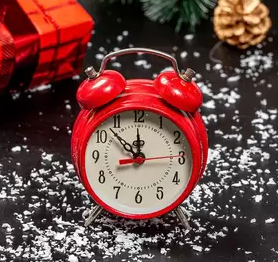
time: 11:52
